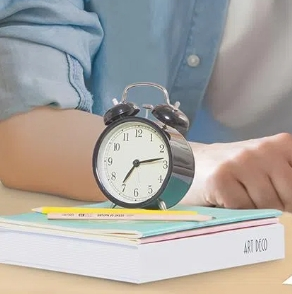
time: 7:13
